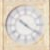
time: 10:20
